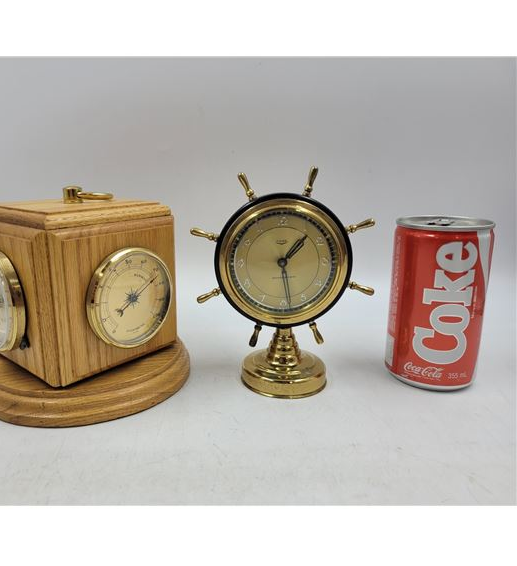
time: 1:28
